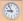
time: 8:56
